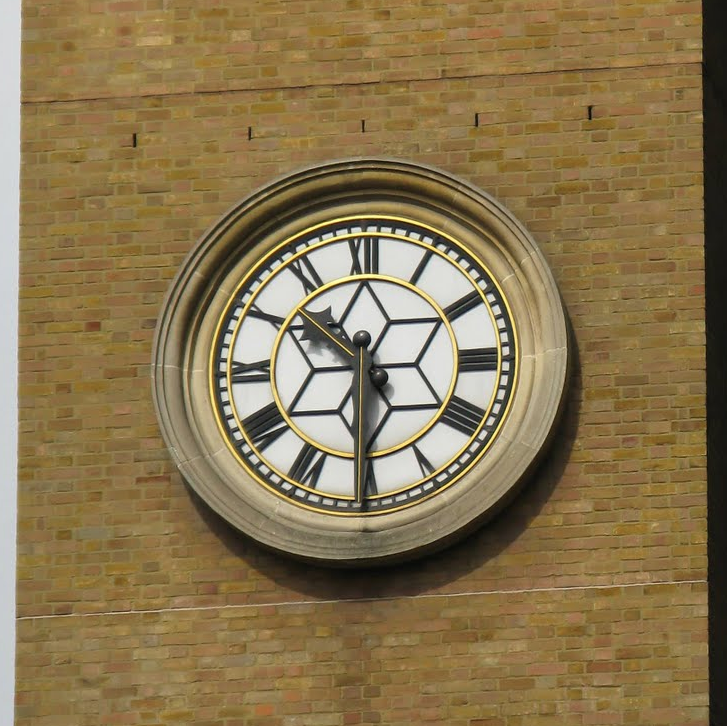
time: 10:29
